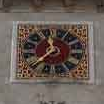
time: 11:37
